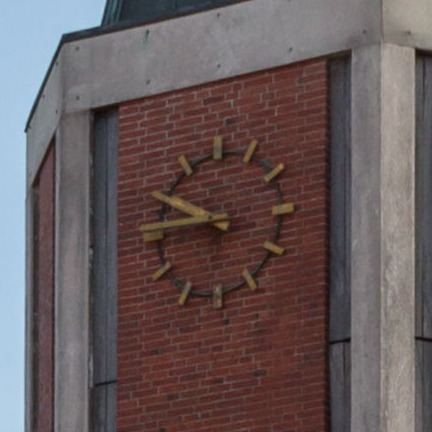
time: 9:45
